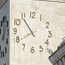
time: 7:54
